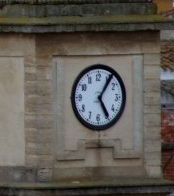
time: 5:05
